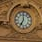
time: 7:00
